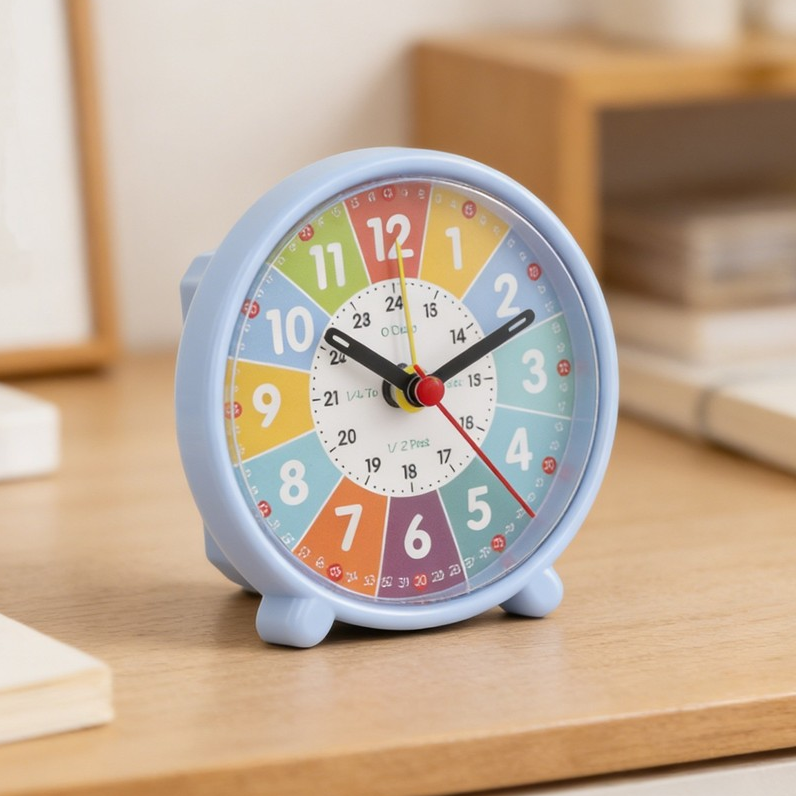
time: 10:11
